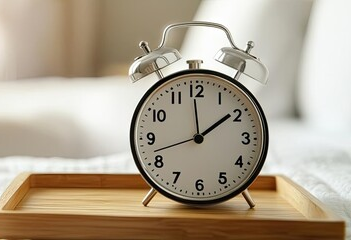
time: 1:59
